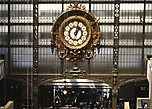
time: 1:02
